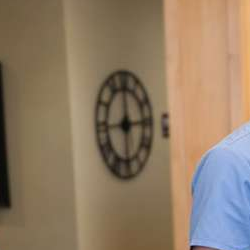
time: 5:59
